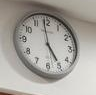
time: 4:58
